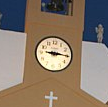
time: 9:15
